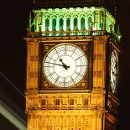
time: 10:47
